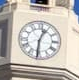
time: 12:30
